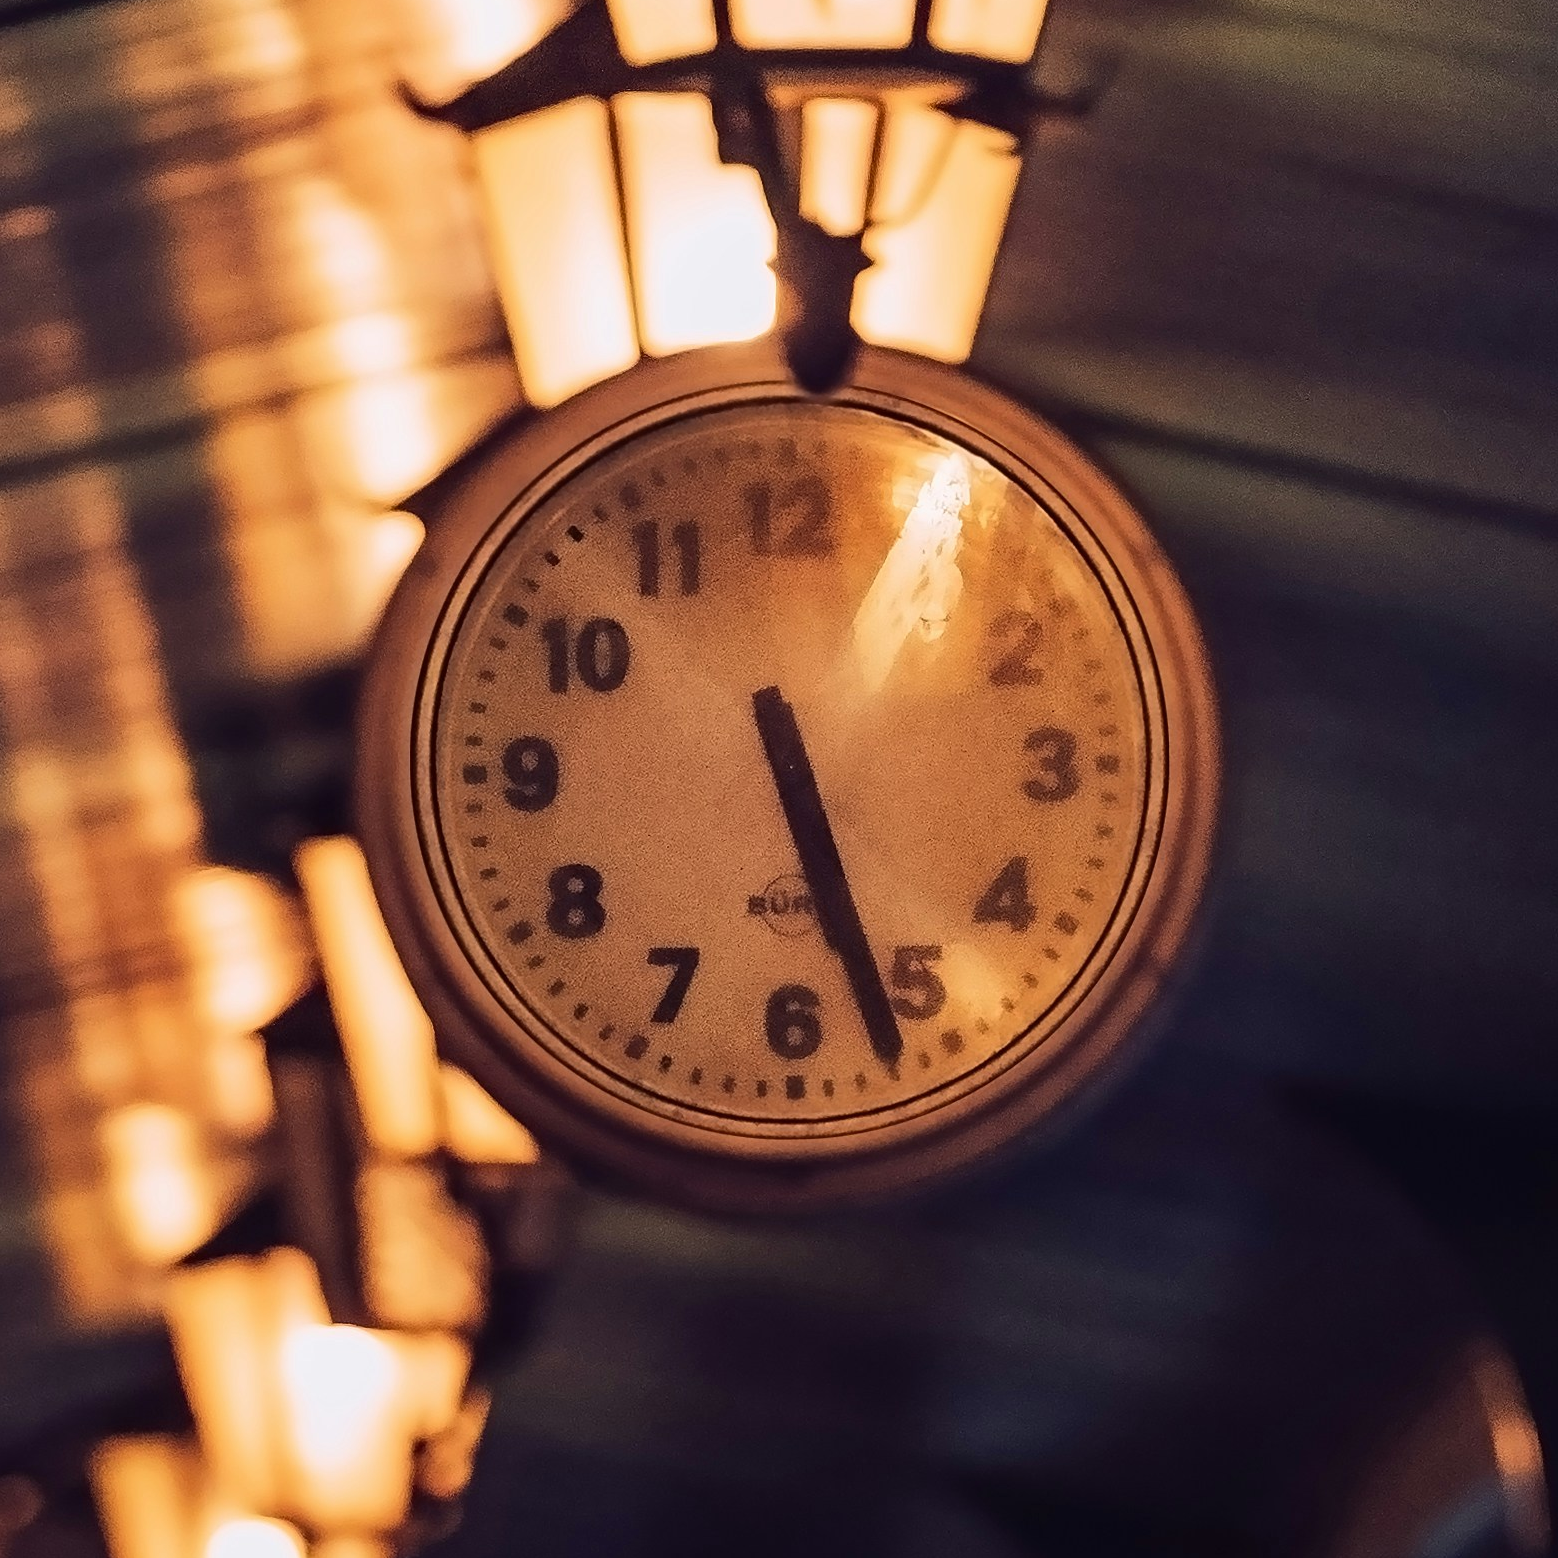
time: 5:26
